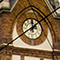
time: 12:07
